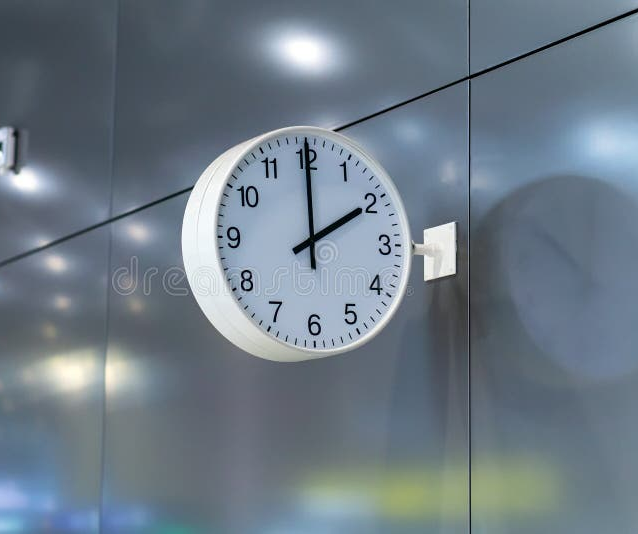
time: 2:00
